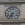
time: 6:34
